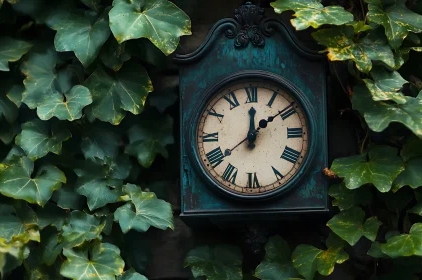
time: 12:08
